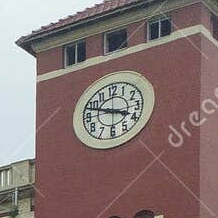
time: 3:48
